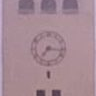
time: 7:16
